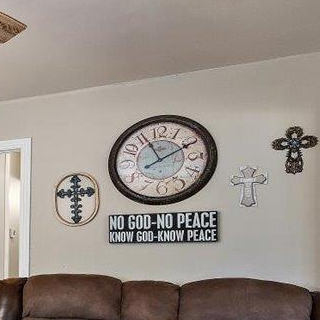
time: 11:10
